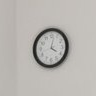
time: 4:02
